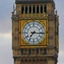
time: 7:15
